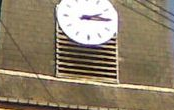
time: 2:15
